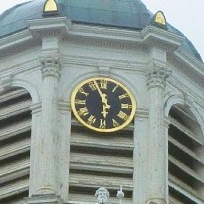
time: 5:56
